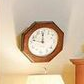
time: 11:46
